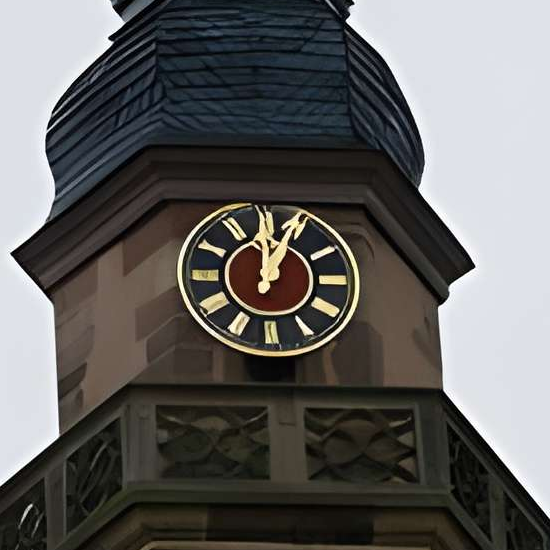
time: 12:03
